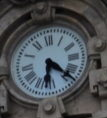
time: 6:22
